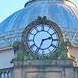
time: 2:34
